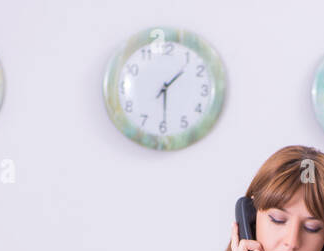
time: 1:29
